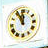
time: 11:55
